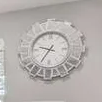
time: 9:35
